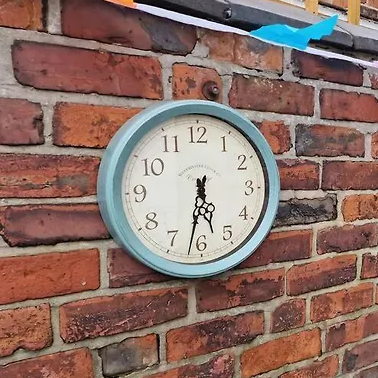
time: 5:31
